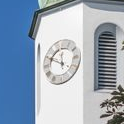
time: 11:49
